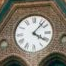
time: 4:07
